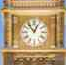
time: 12:53
